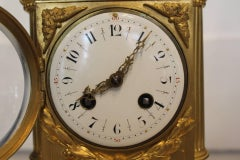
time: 8:06
